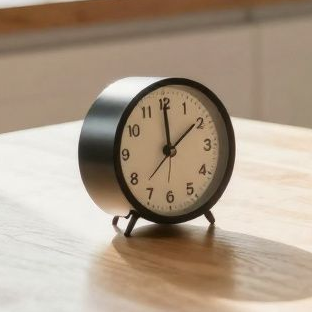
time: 1:59
